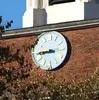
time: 8:45
